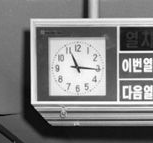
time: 11:15
